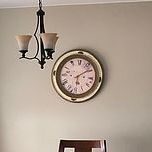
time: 6:08
